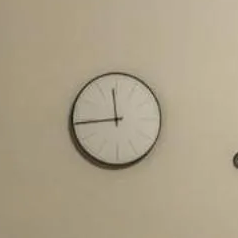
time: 11:44
